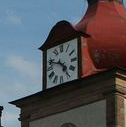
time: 4:48
